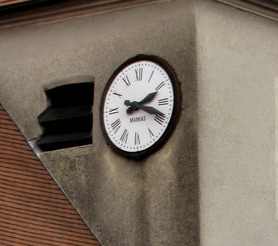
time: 2:18
